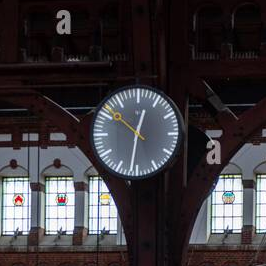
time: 12:31
